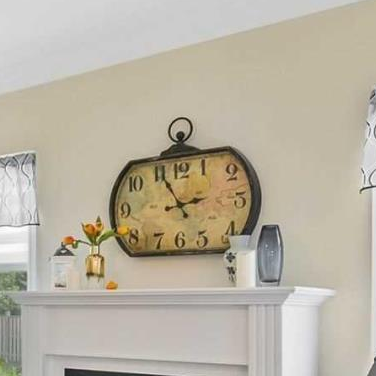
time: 2:55
